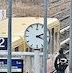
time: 2:18
